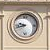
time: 9:42
